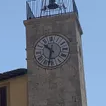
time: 10:32
